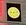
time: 9:12
